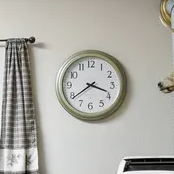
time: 3:39
